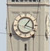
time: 1:18
